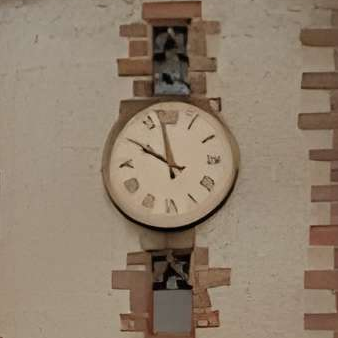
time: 9:57
